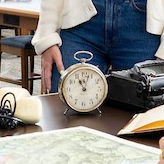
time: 11:02
